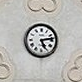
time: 5:13
